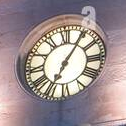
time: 7:05
